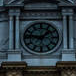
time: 1:46
